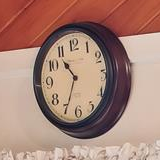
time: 10:34
